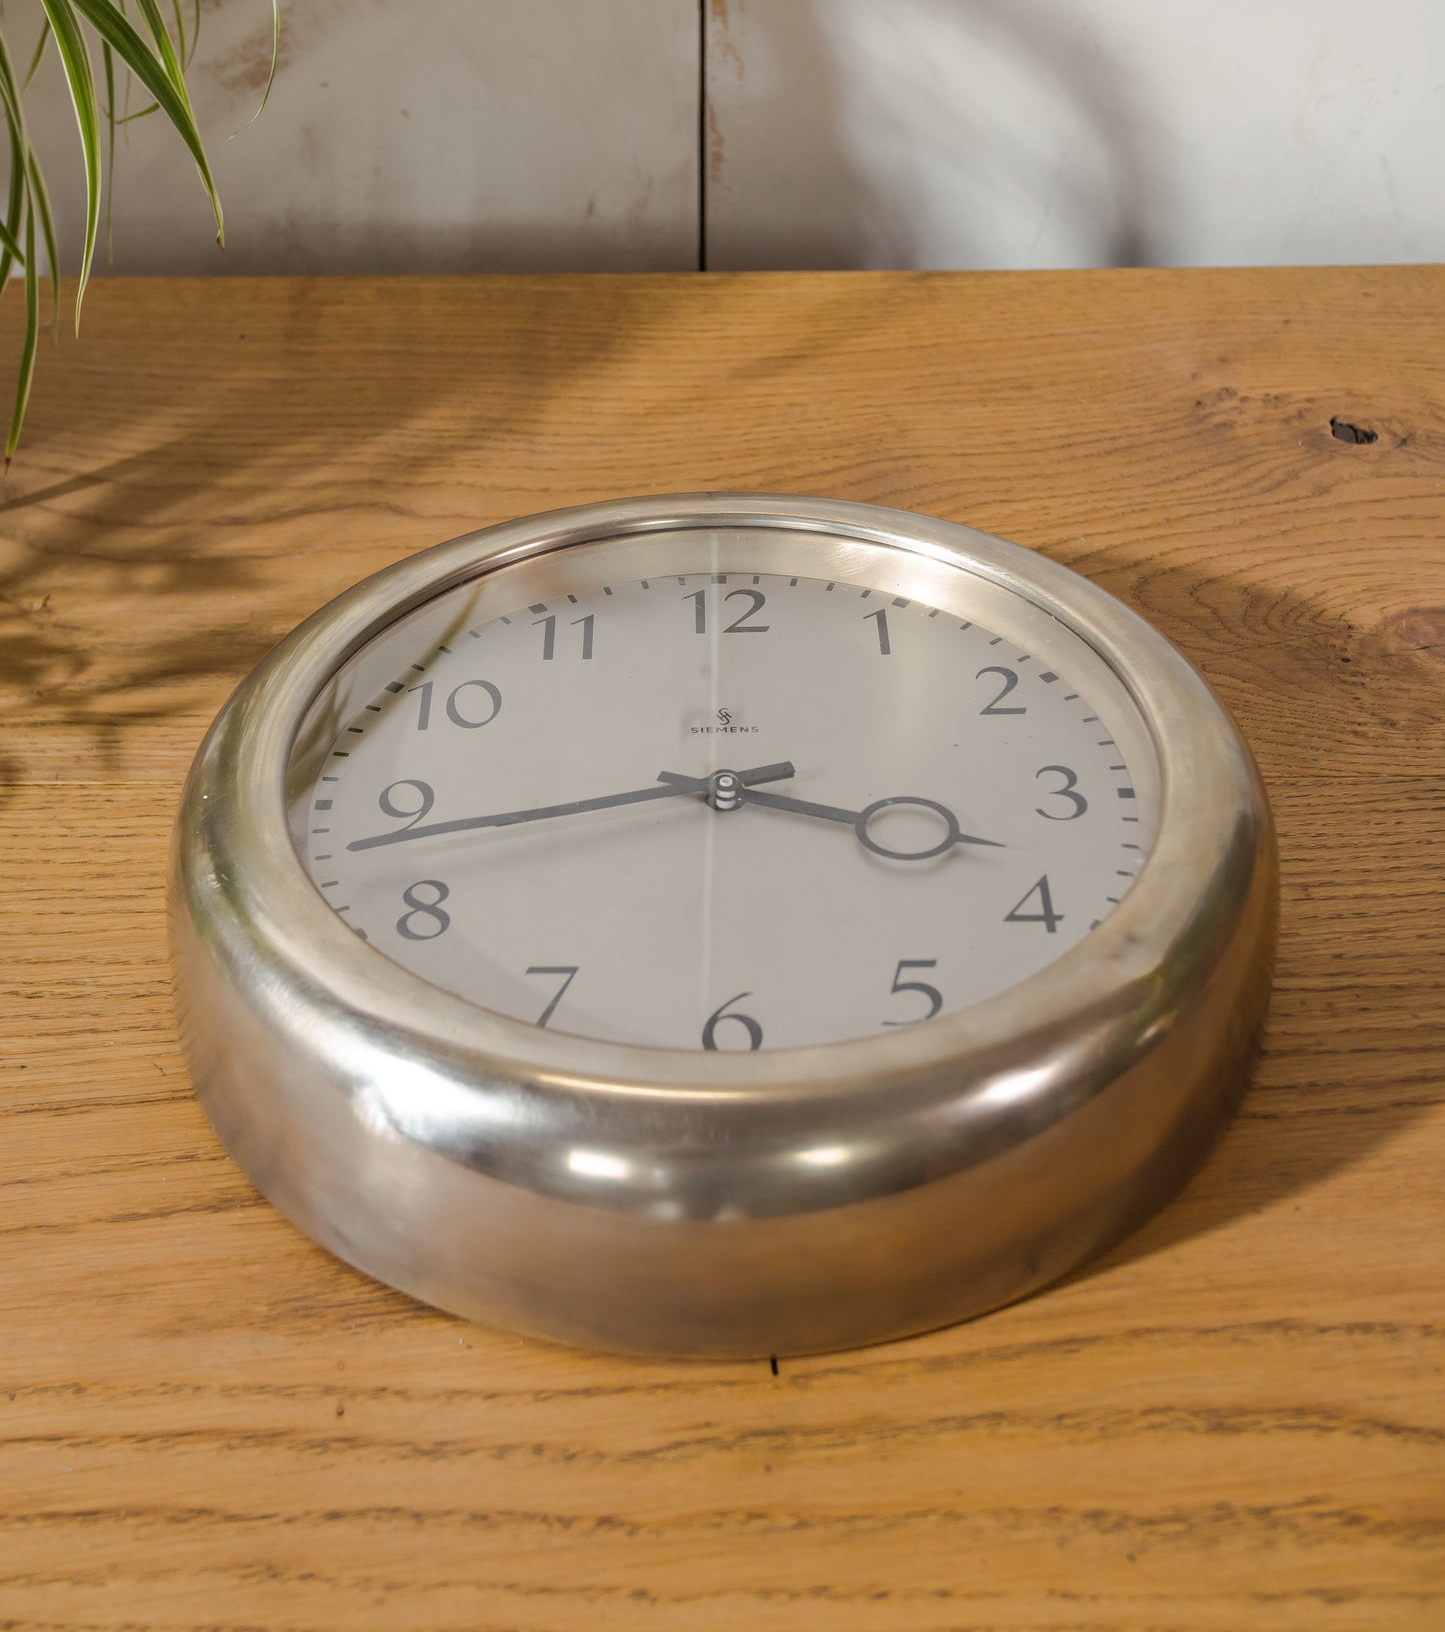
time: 3:43
